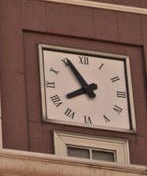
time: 7:55
